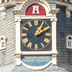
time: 1:09
